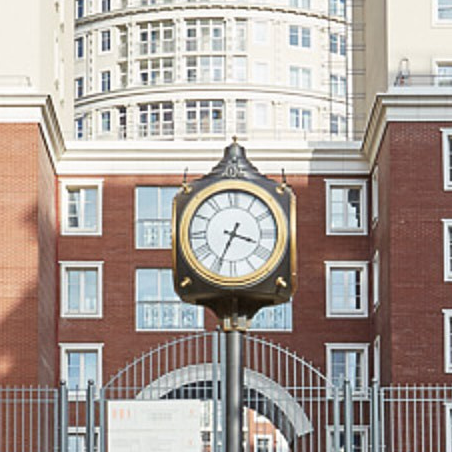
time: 3:34
